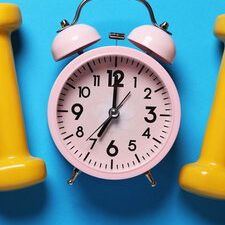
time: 7:00
